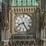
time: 8:25
